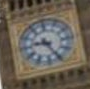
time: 9:25
